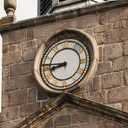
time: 8:46
